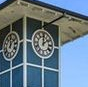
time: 2:00
